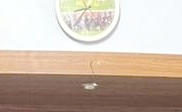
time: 8:36
